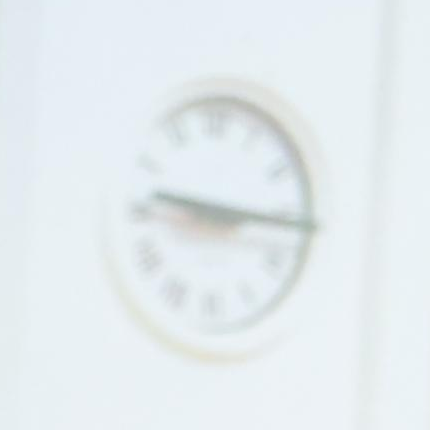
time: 9:15
